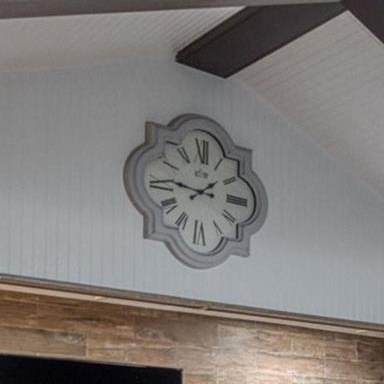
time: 1:46
